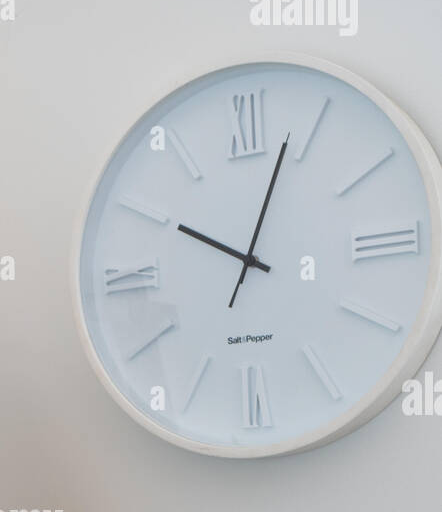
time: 10:03
